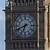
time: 6:41
